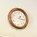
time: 1:16
